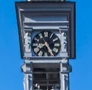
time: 7:25
